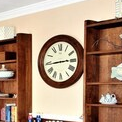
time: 2:44
